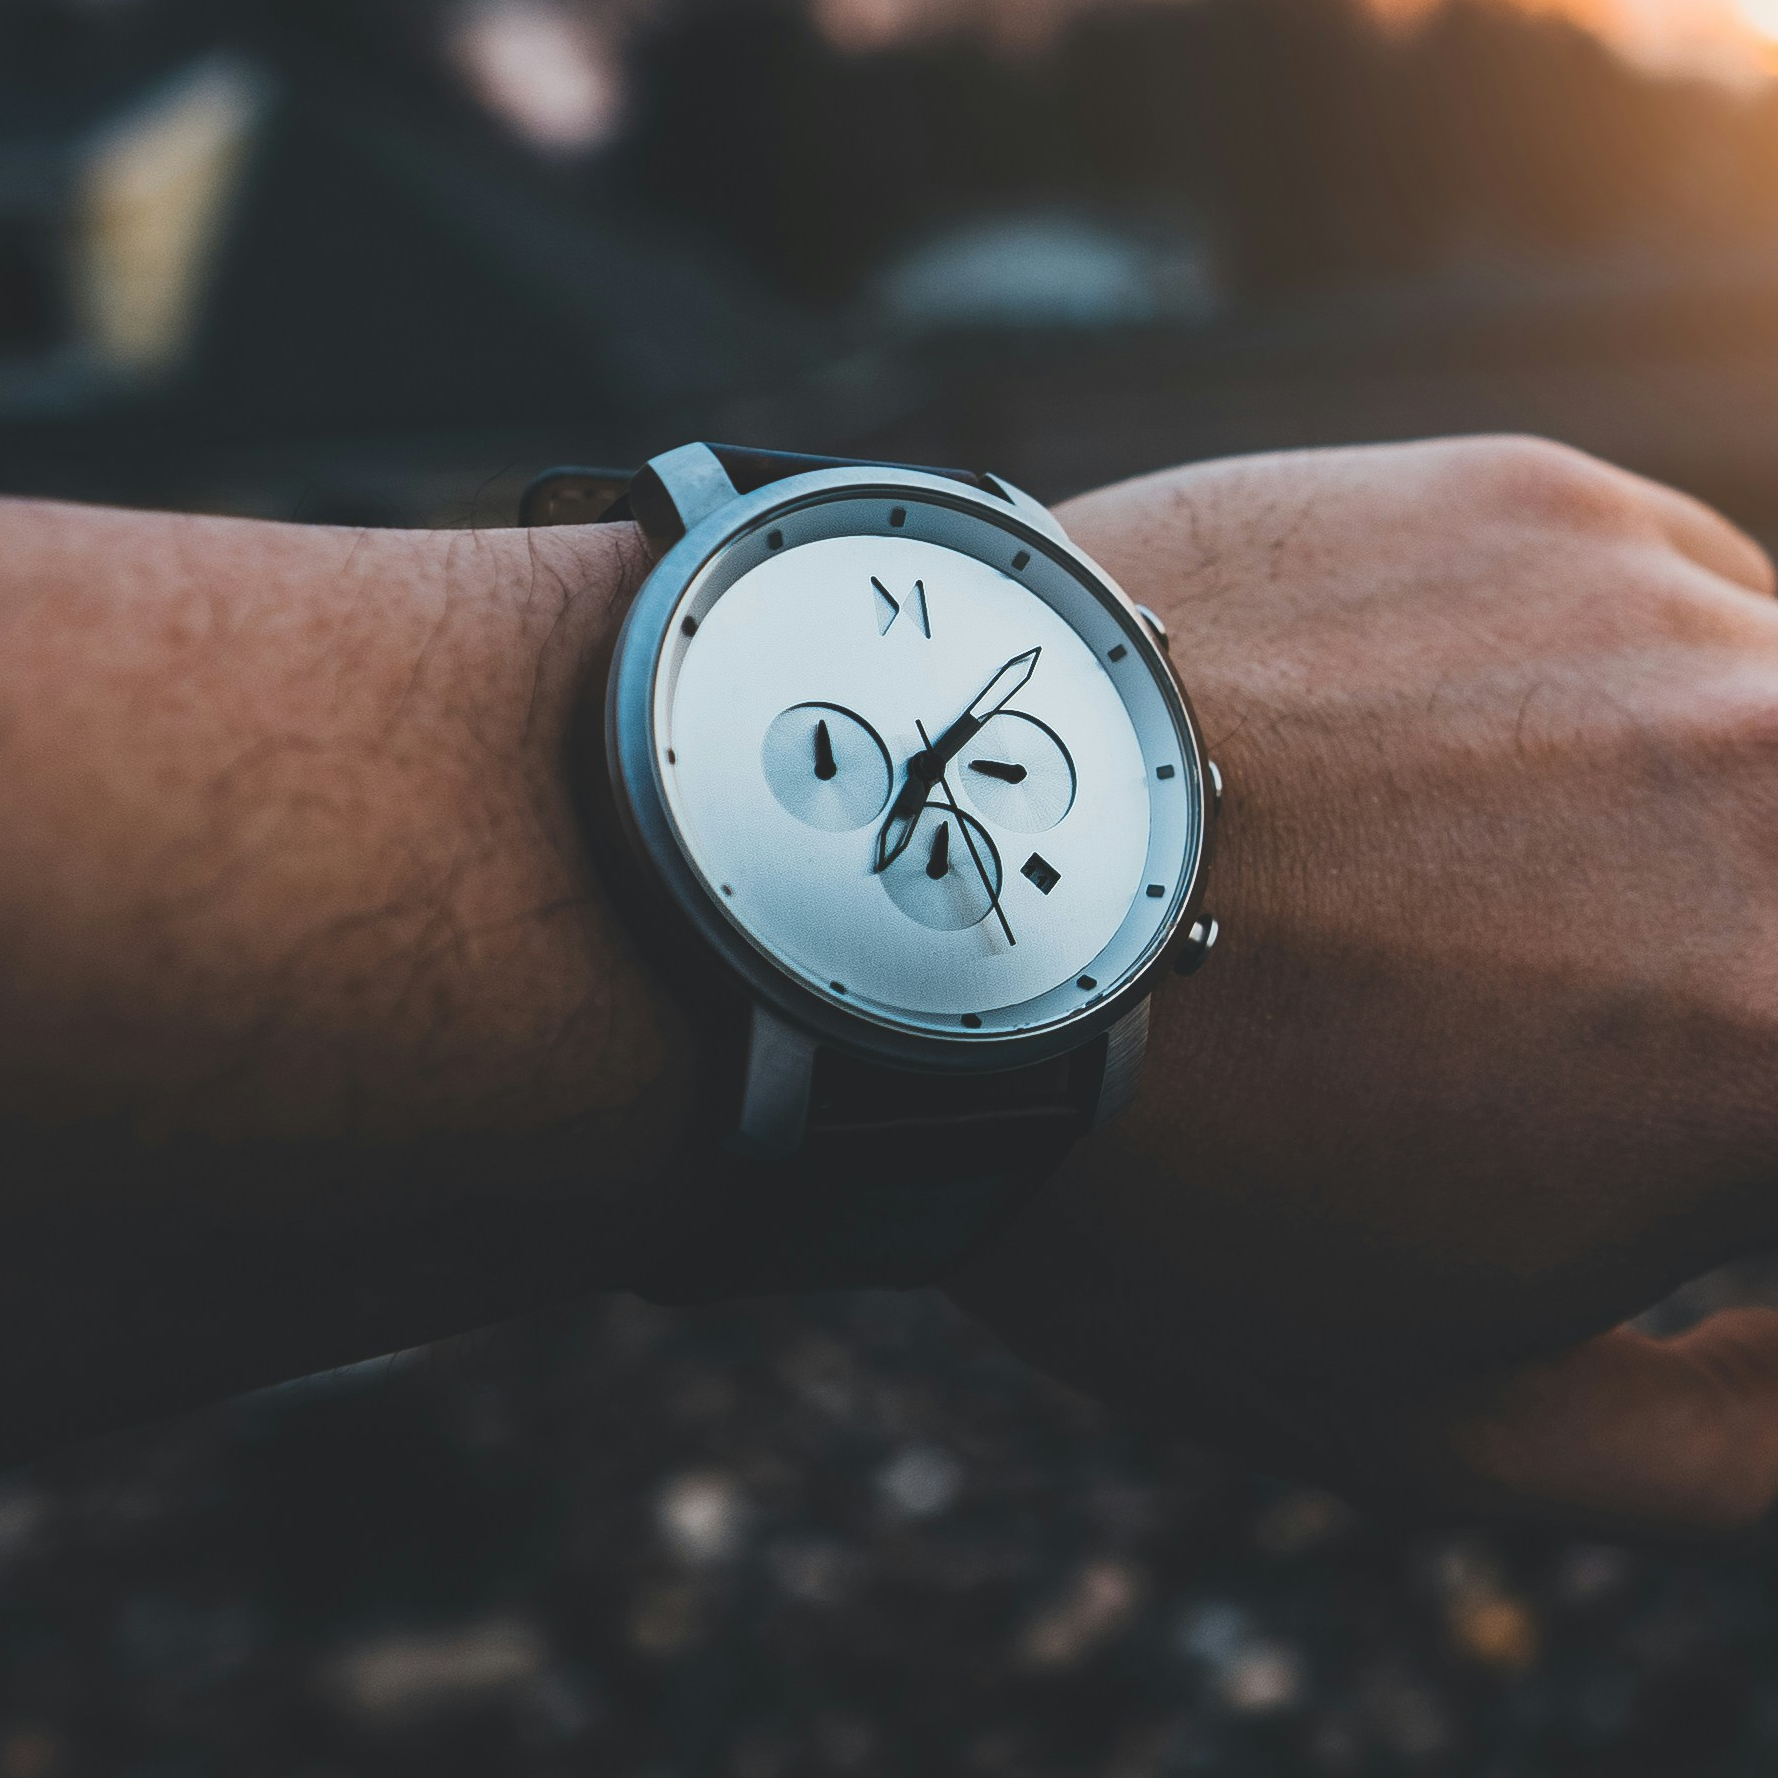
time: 7:07
